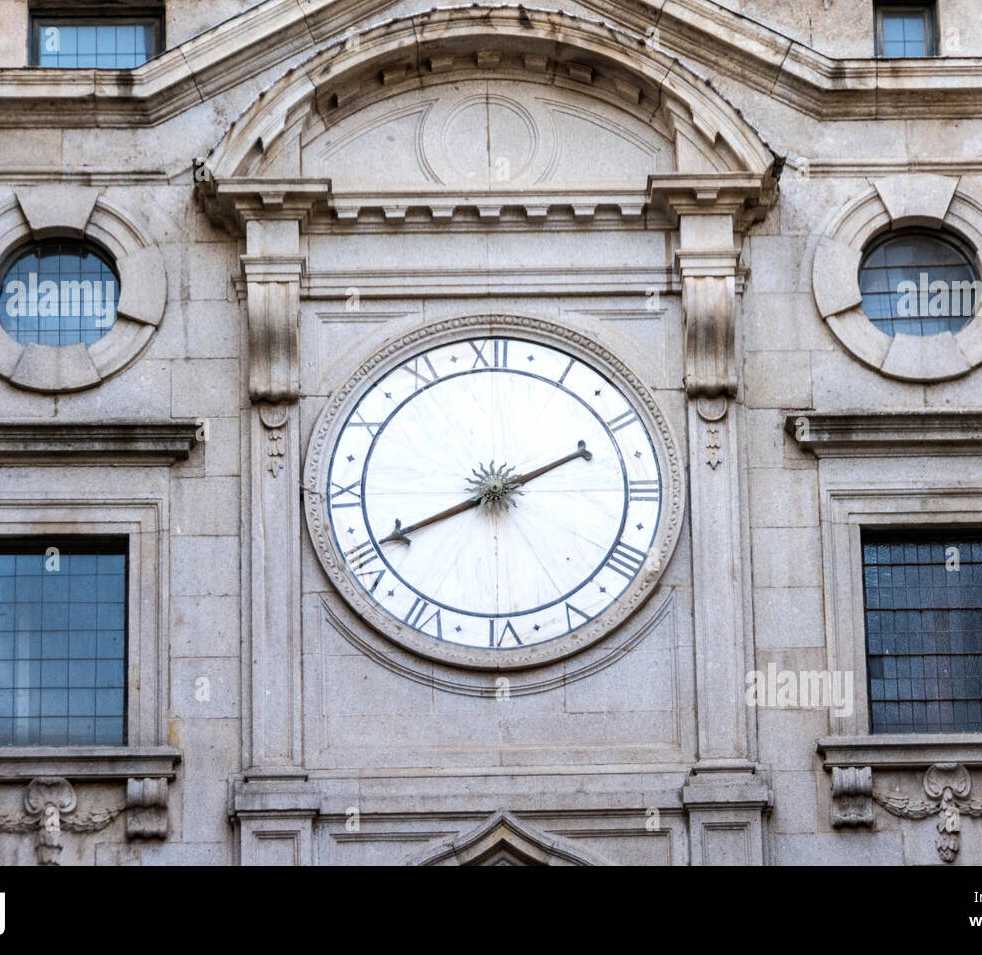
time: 8:10
